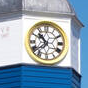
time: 10:38
